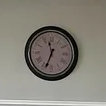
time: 11:33
